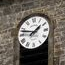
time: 1:47
